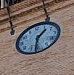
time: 1:32
